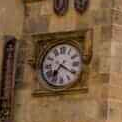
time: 7:20
